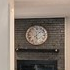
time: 6:07
